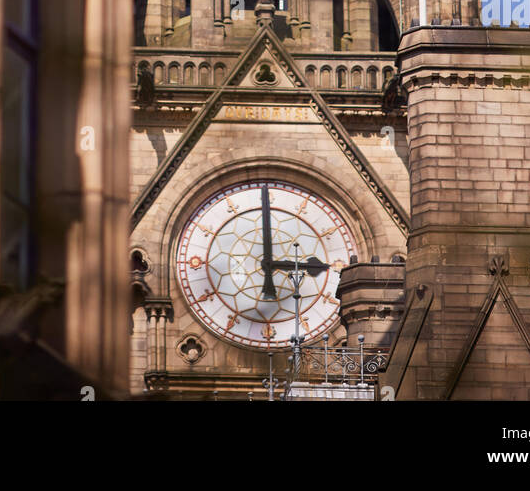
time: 2:59
